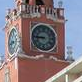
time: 8:45
